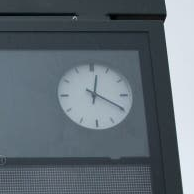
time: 12:19
